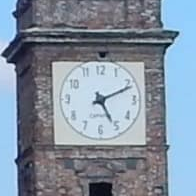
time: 5:11
